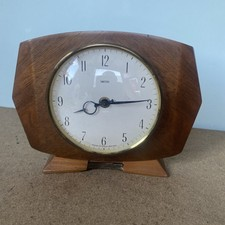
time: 8:14
